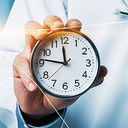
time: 11:46
